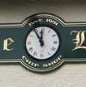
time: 11:54
